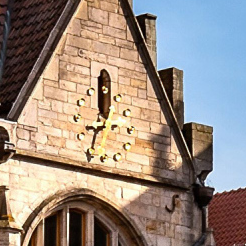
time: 12:33
